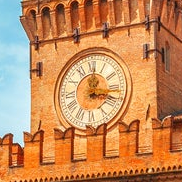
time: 12:17
